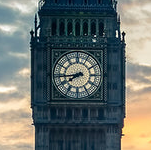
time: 7:43
